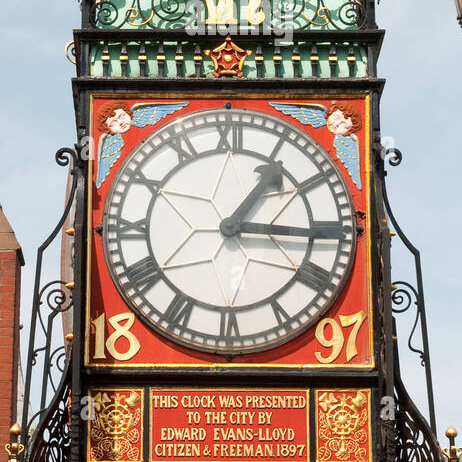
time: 1:15
